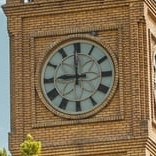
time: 8:59
